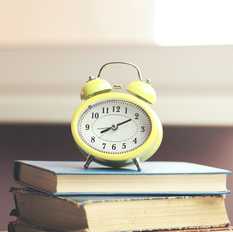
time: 8:10
